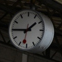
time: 1:45
